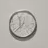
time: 11:37
